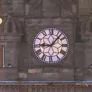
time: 9:07
